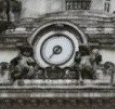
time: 7:37
